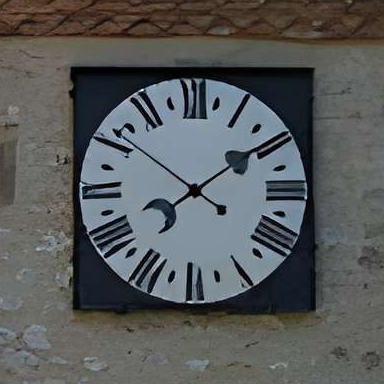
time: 1:50
